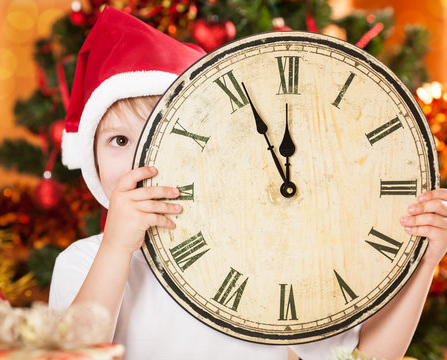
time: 11:55
